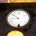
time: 8:51
